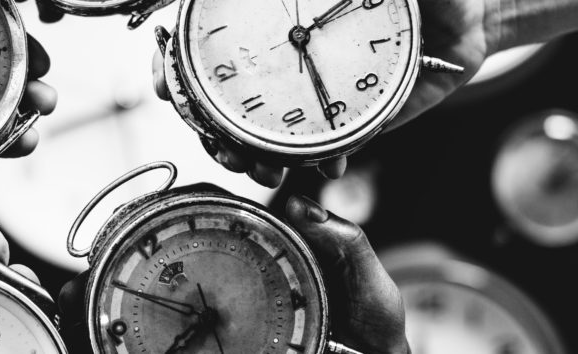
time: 1:26
